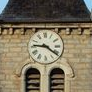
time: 9:21
